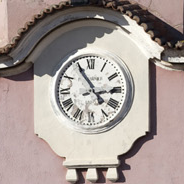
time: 2:54
